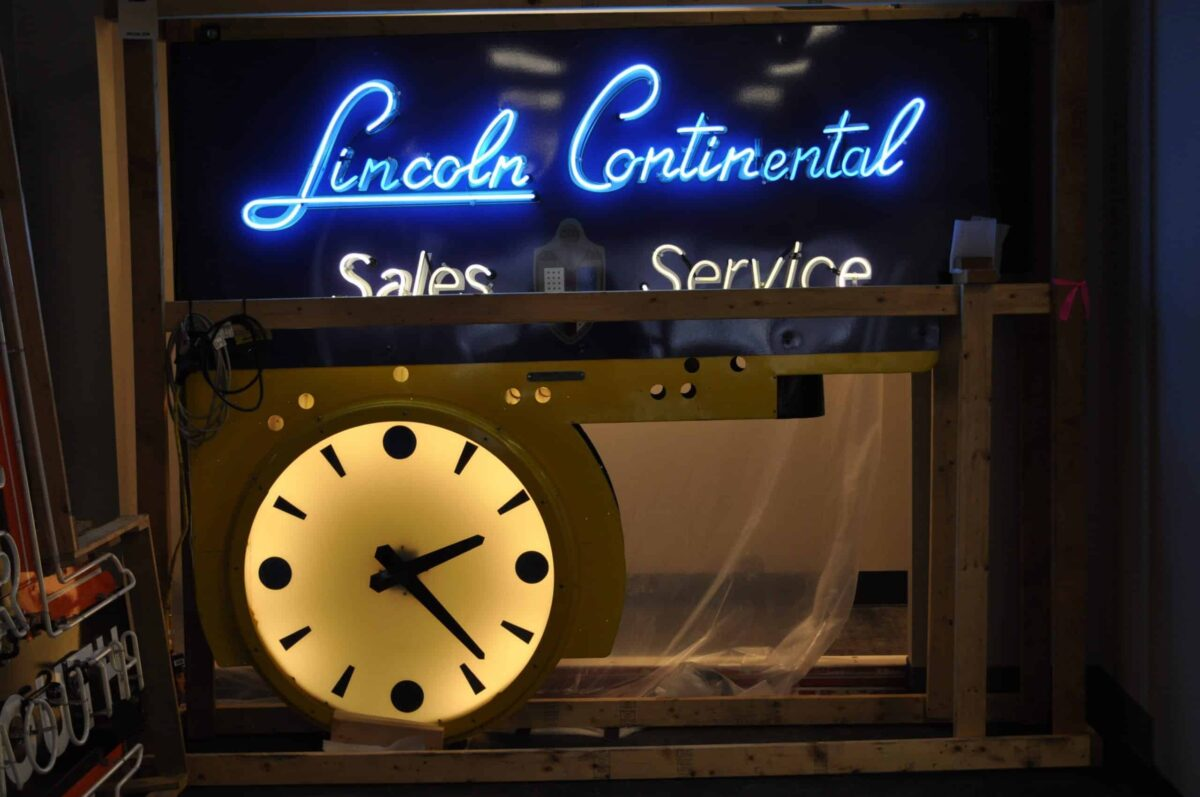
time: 2:23
